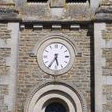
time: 5:35
